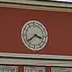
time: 3:38
